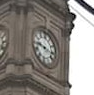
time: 9:17
